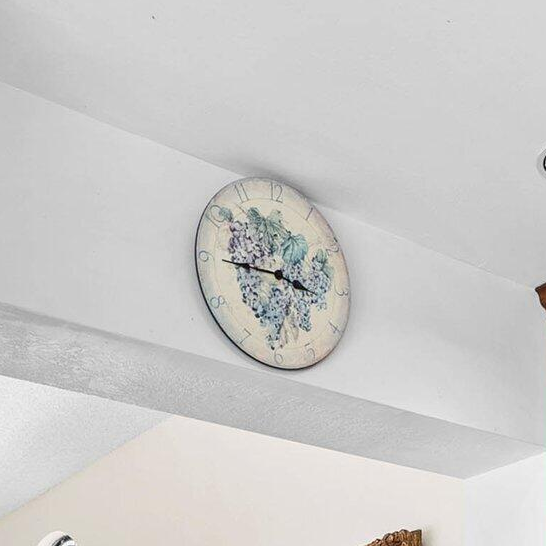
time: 3:44
